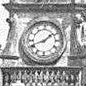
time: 1:41
